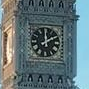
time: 2:00
